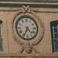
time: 4:34
